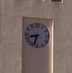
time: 8:33
